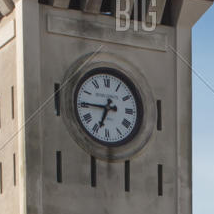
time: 6:45
